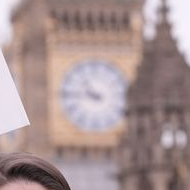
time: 10:45
